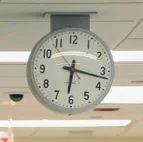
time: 6:17
